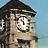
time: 11:52
